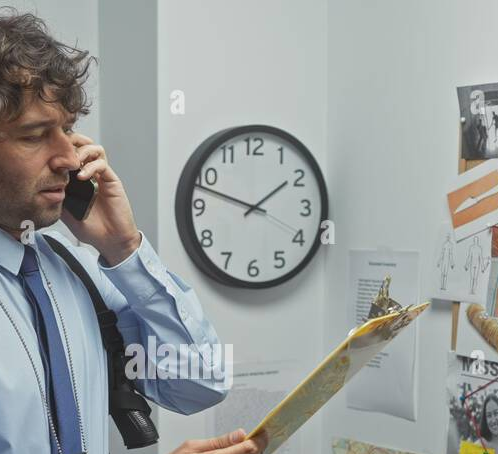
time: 1:47
